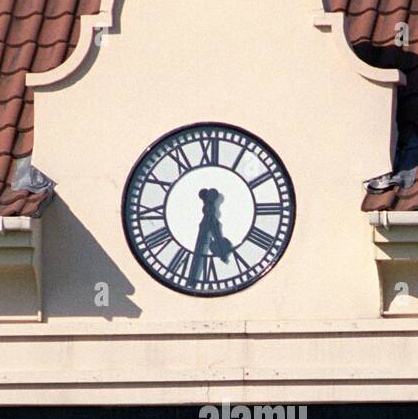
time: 5:32
